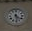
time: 4:29
